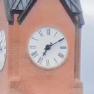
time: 7:09
